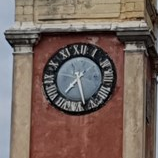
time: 7:27
